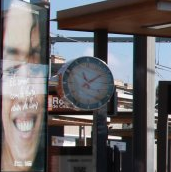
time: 11:09
